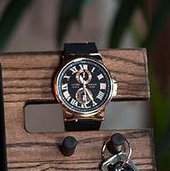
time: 11:25
